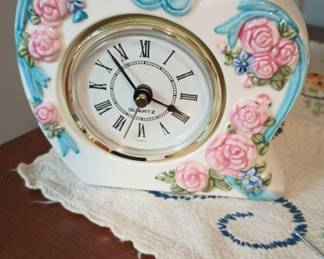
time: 3:53
